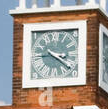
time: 3:21
